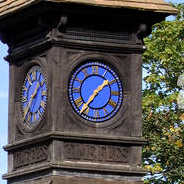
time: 1:36
